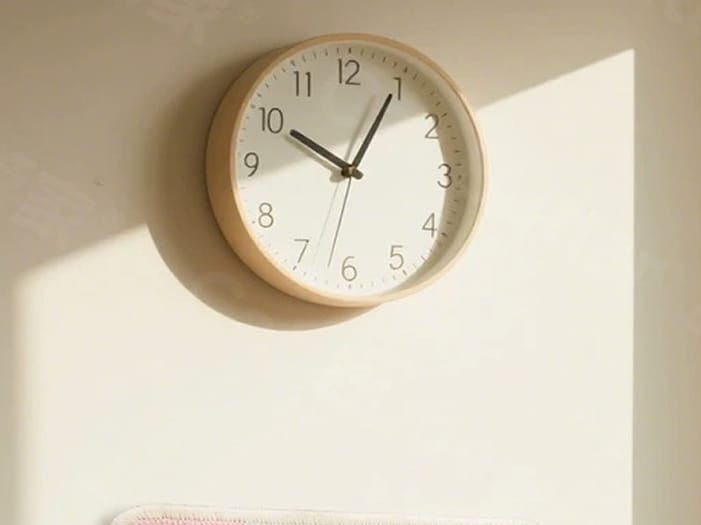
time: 10:04
